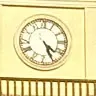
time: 4:26
